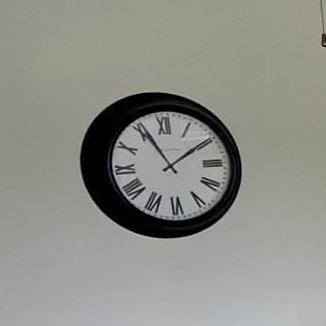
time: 1:55
